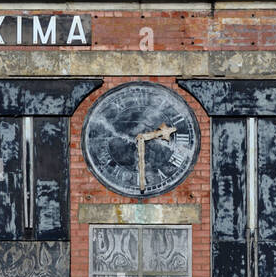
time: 2:29
